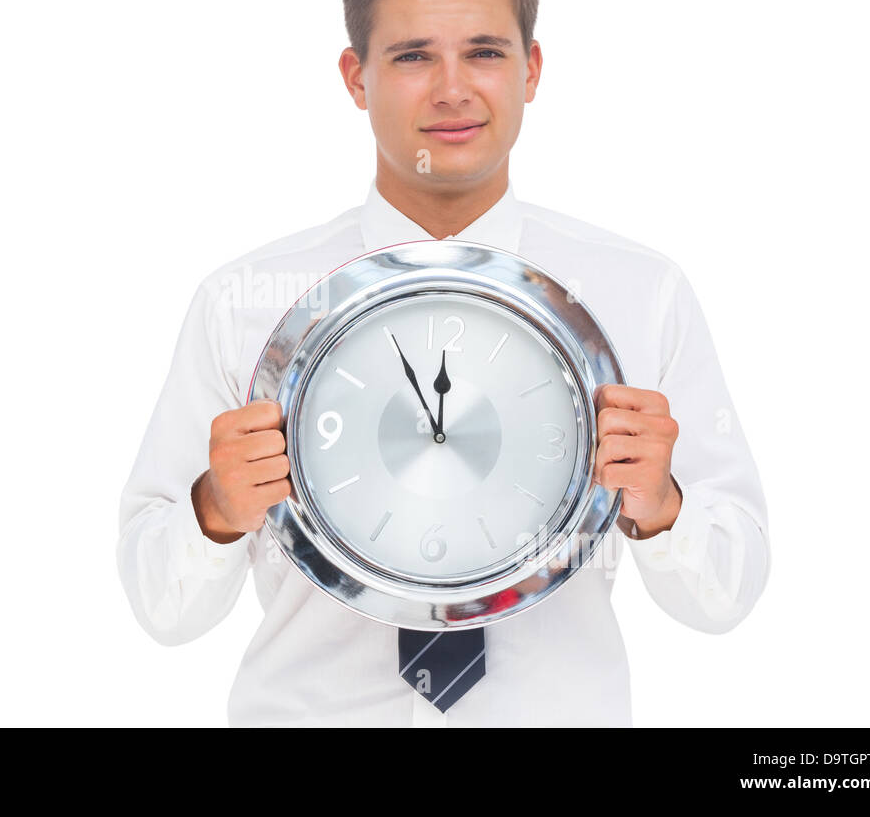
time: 11:55
